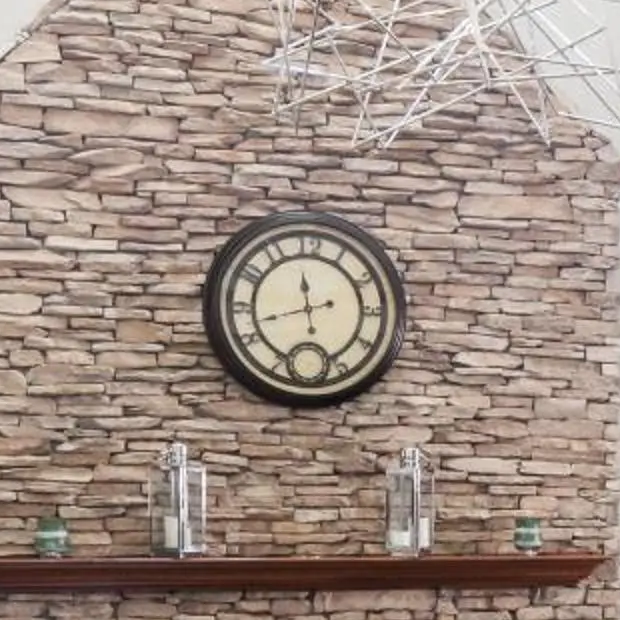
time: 11:42
